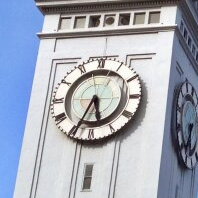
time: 5:34
